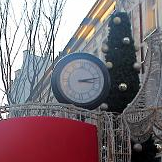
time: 3:13
